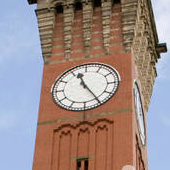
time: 11:24
